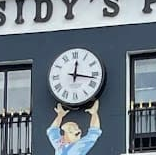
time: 12:16
